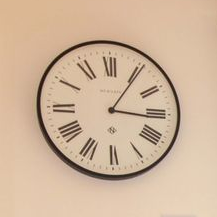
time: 3:05
